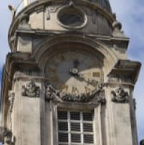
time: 12:20
